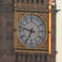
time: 6:47
